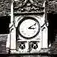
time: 3:09
